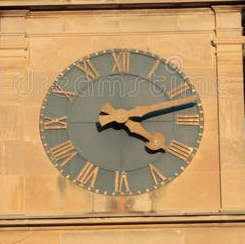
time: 4:12
